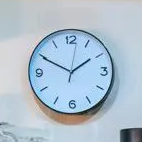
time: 1:49
